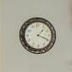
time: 1:18
